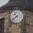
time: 10:38
